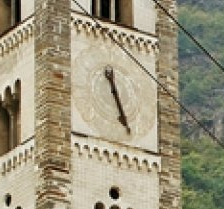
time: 5:26
